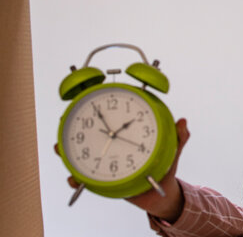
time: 1:55
